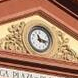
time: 11:16
